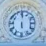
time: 5:59
